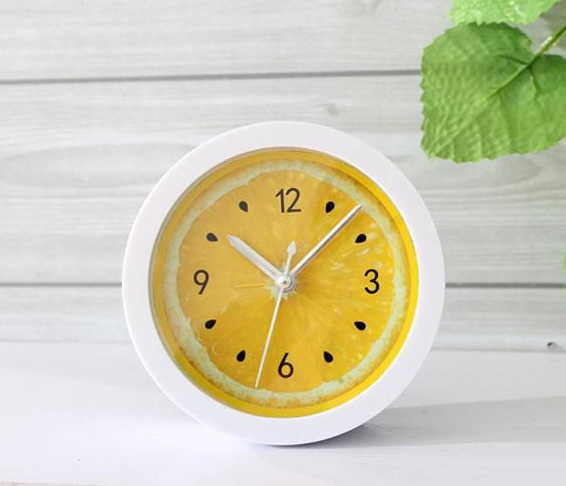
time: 10:07
